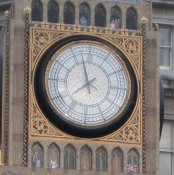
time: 7:57
